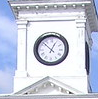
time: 12:52
